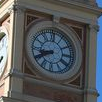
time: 8:40
